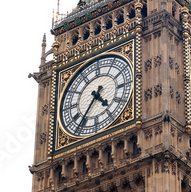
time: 4:36
